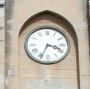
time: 3:34
